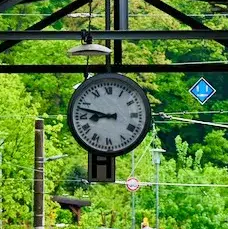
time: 8:47
